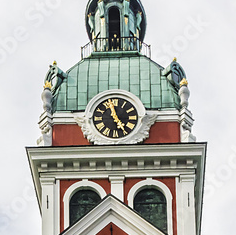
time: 11:24
